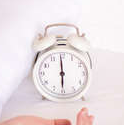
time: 5:59
